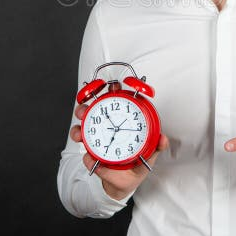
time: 6:55
